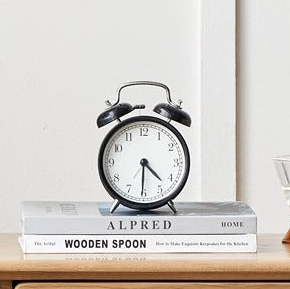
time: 4:30
